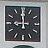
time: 8:59
